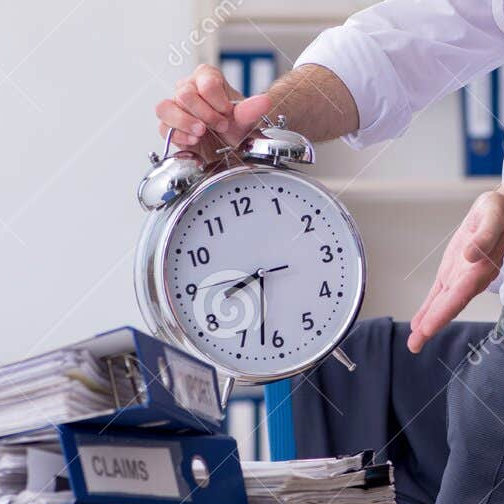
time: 8:32
